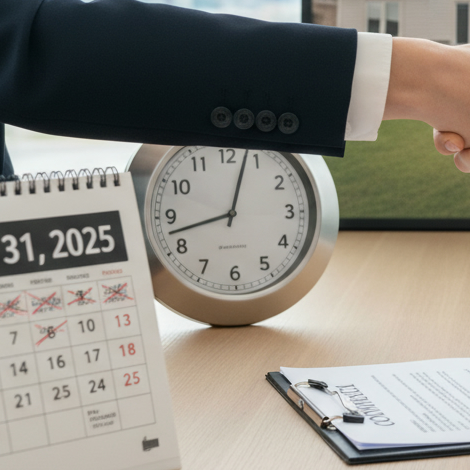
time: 12:42
